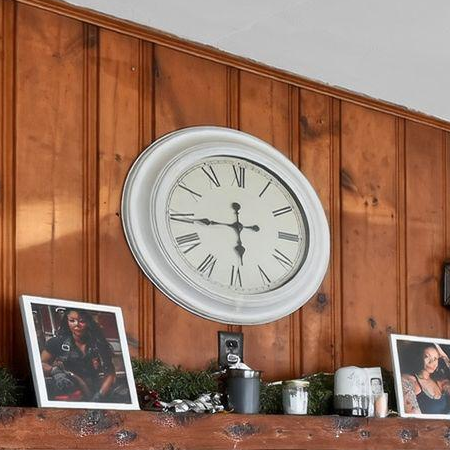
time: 5:44
